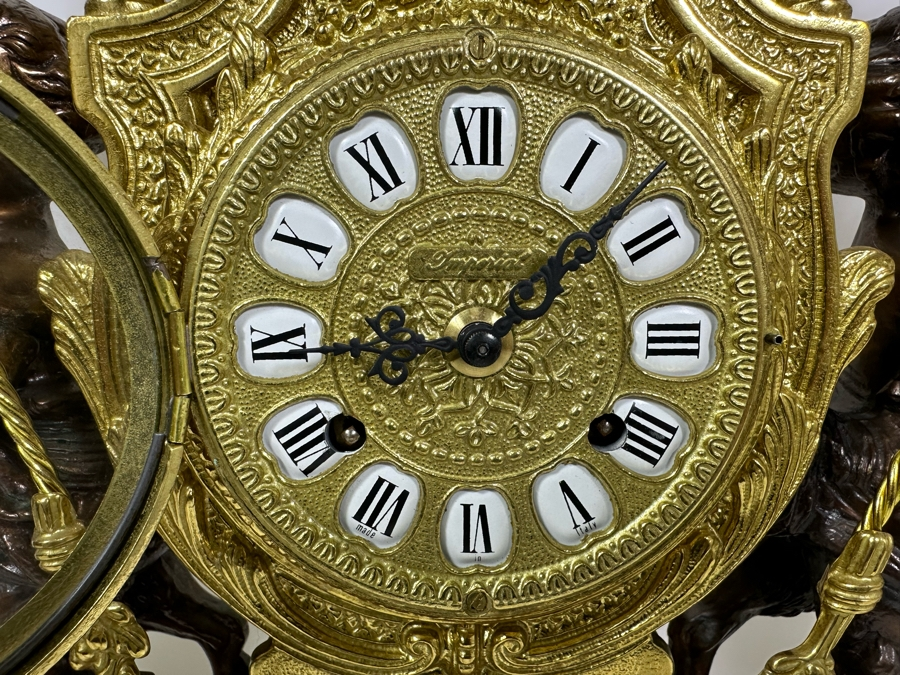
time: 9:07
